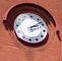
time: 2:08
